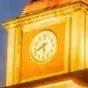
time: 5:40
